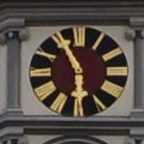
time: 5:55
